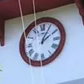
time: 2:04
